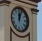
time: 12:03
